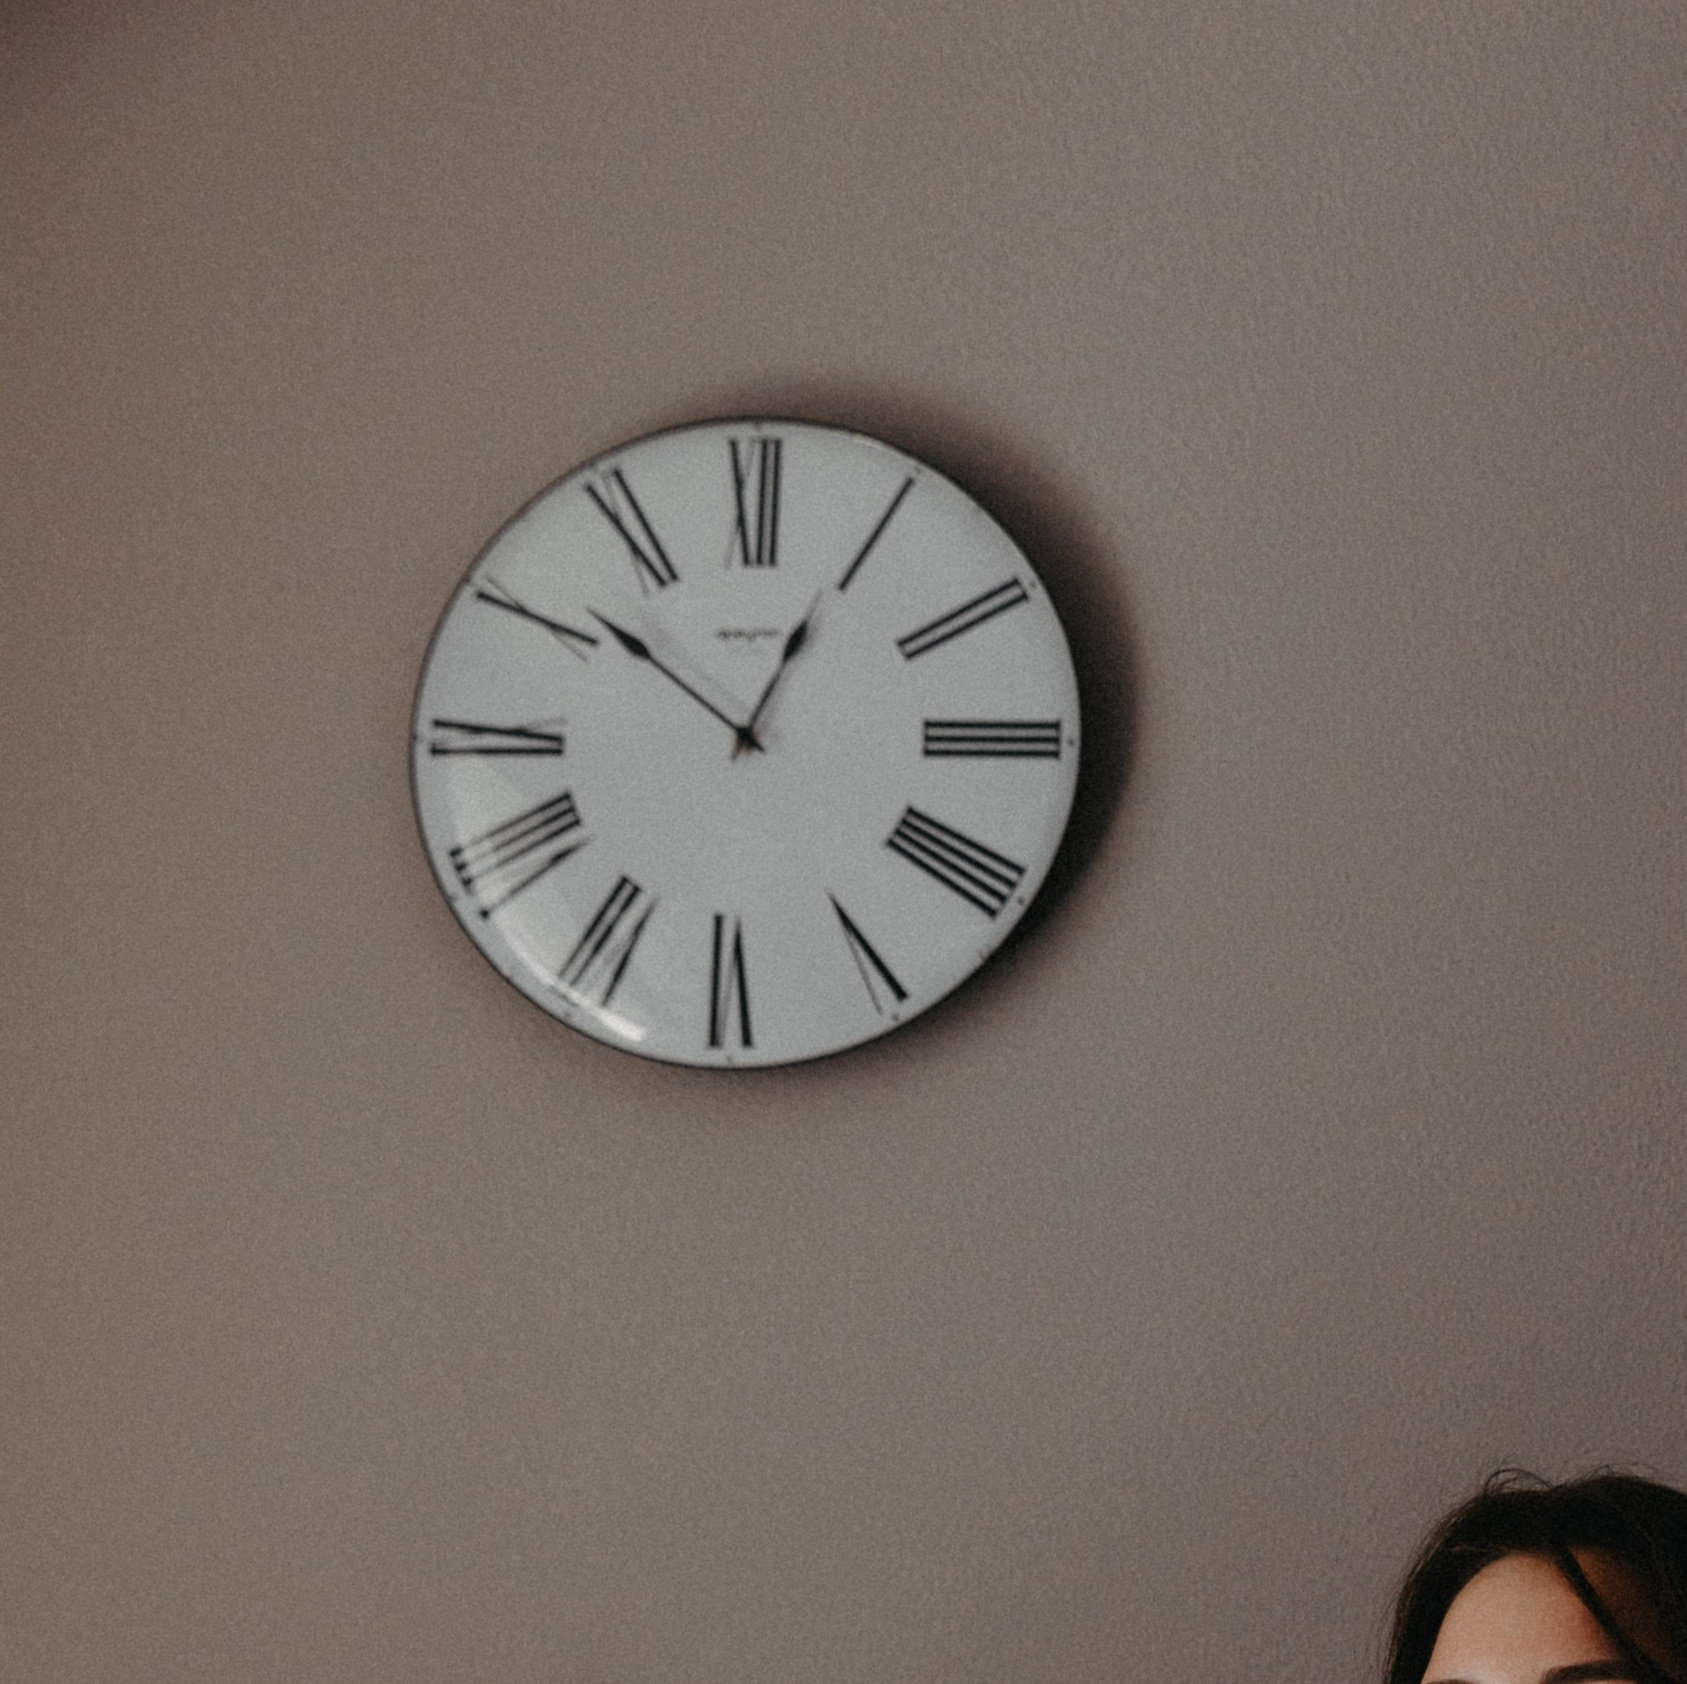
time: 12:51
